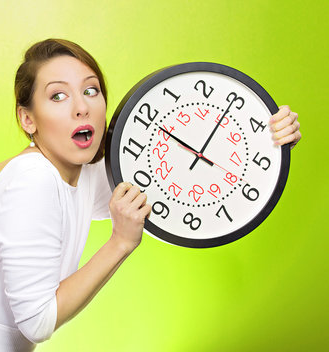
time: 10:04
